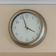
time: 3:56
